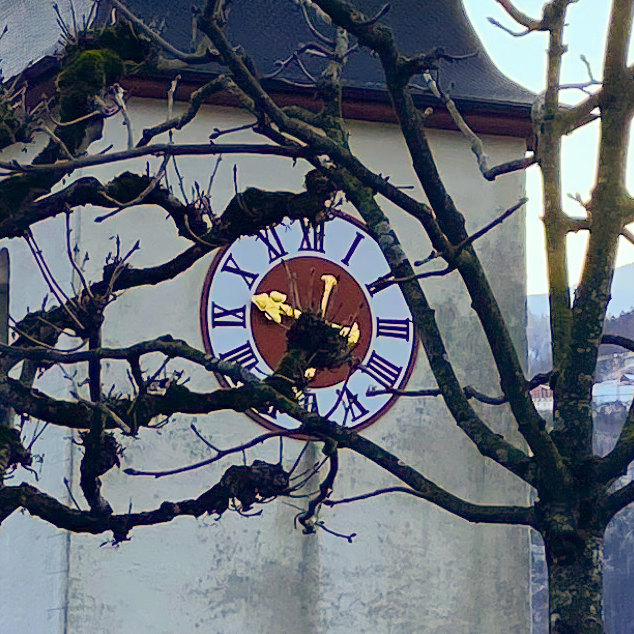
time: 12:48
